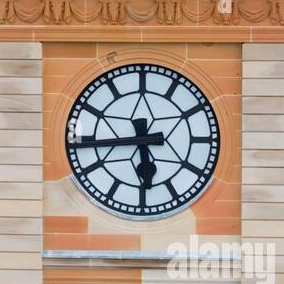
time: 5:44
